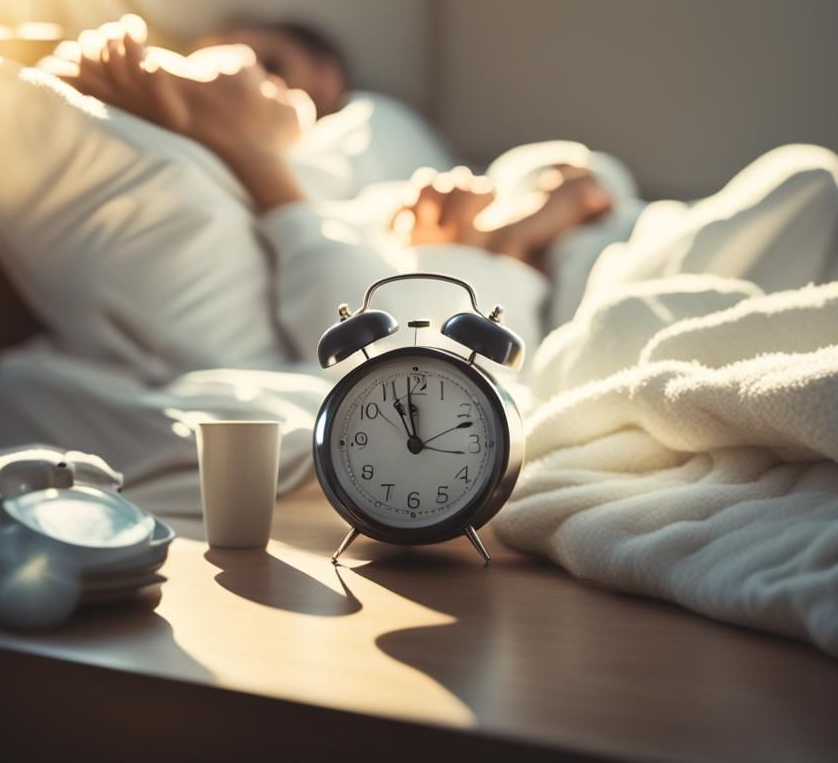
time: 10:58
